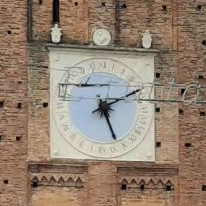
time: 5:11
